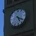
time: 5:20
